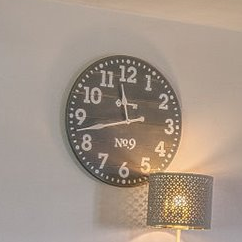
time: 11:43
